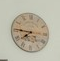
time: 7:45
